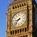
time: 8:37
